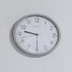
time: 9:29
